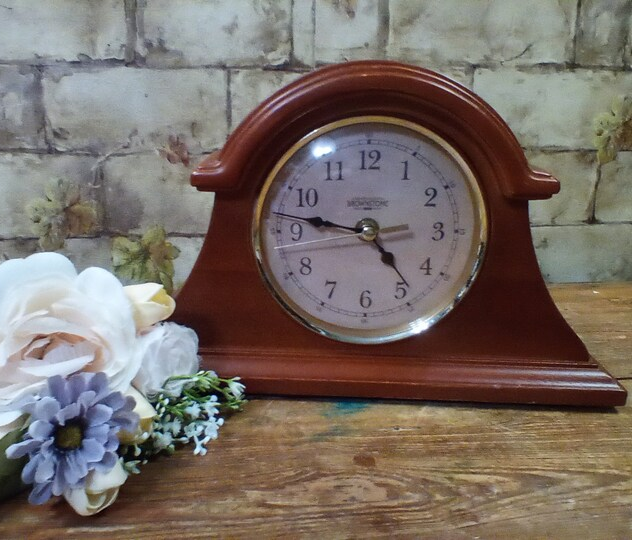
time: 4:46
